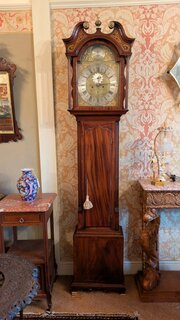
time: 5:45
